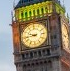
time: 9:43
